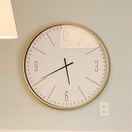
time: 5:40
